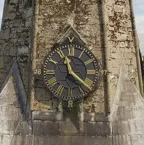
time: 11:21
